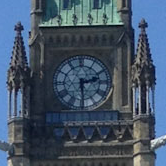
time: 2:29
